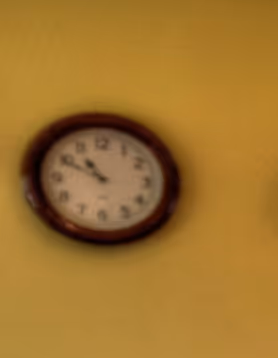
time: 10:49
